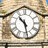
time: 10:28
